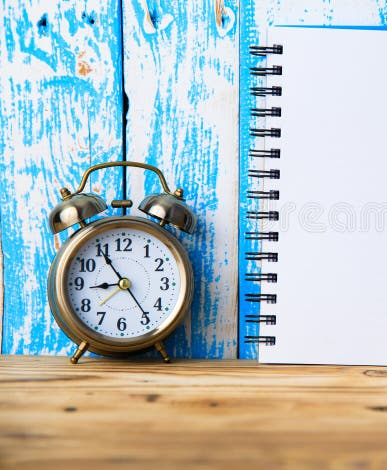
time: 8:54
